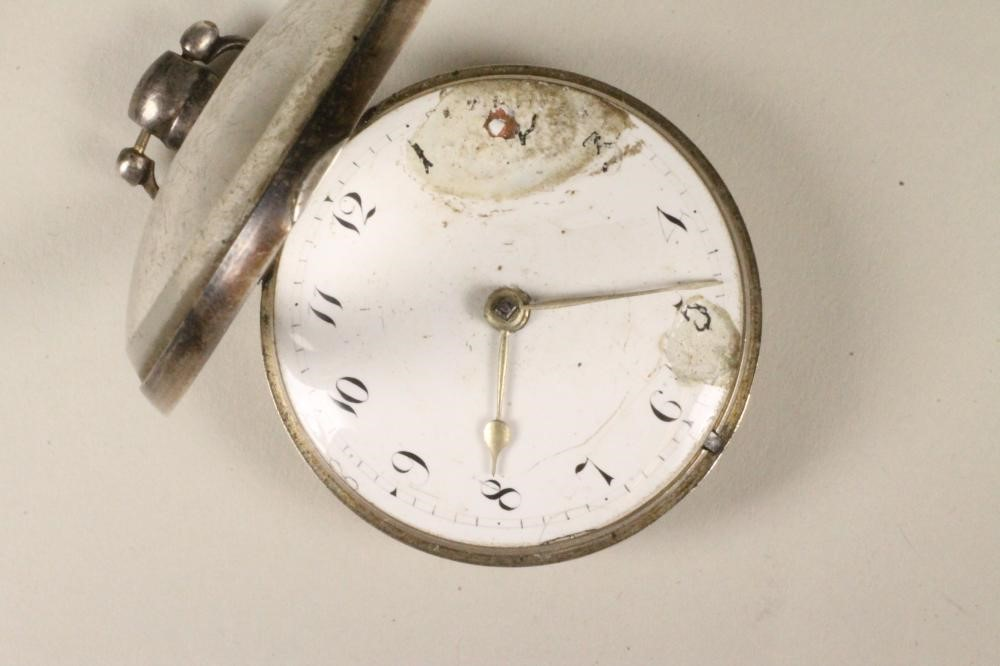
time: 6:13
